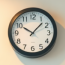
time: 10:07
